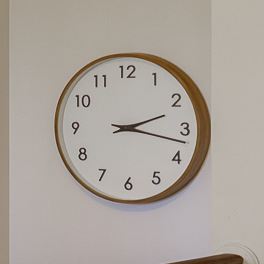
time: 2:17
